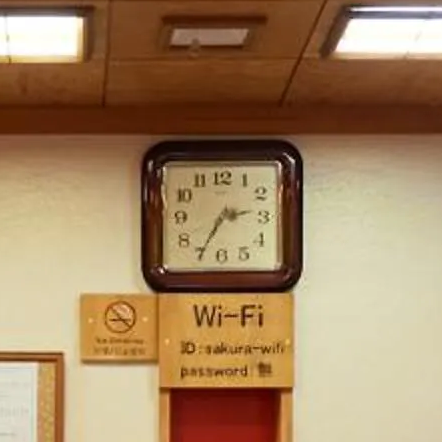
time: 2:35
